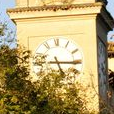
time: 5:15
